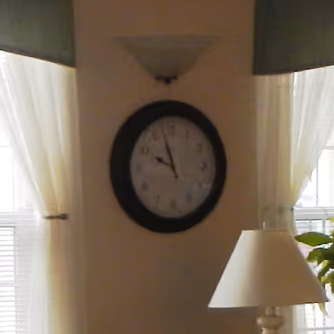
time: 9:57
